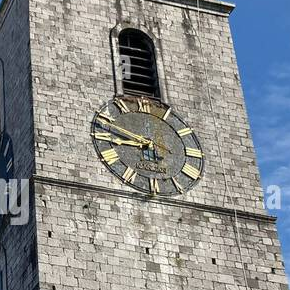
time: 8:47
